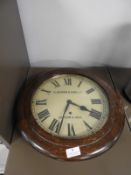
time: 3:33
